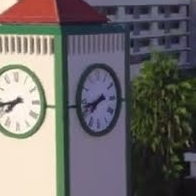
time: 7:42
